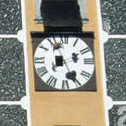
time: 7:25
